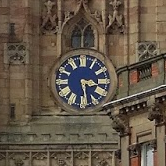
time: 3:28
